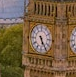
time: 5:24
